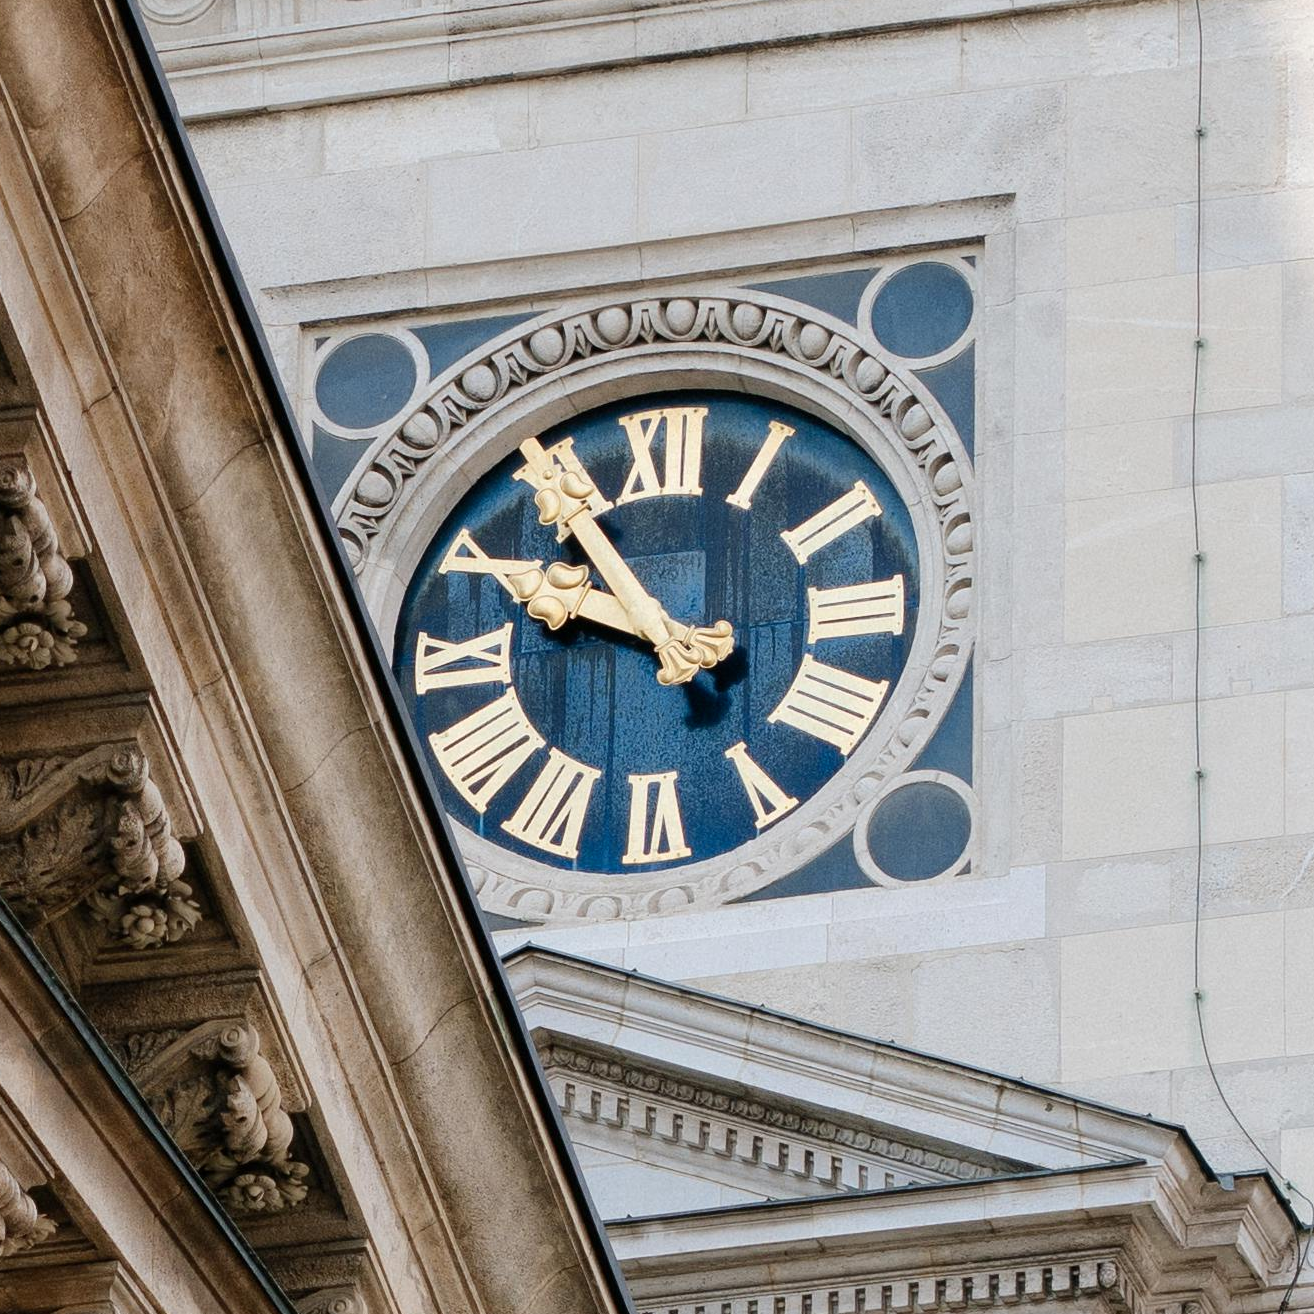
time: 9:54
